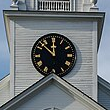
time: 11:52
